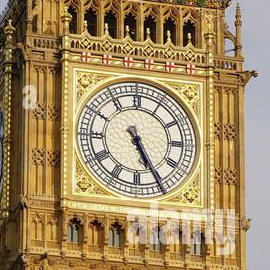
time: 5:25
